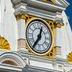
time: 12:36
